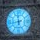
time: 11:42
